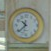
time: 10:37
